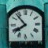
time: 7:53
